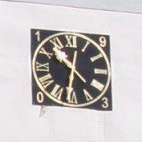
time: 10:31
